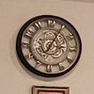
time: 3:04
